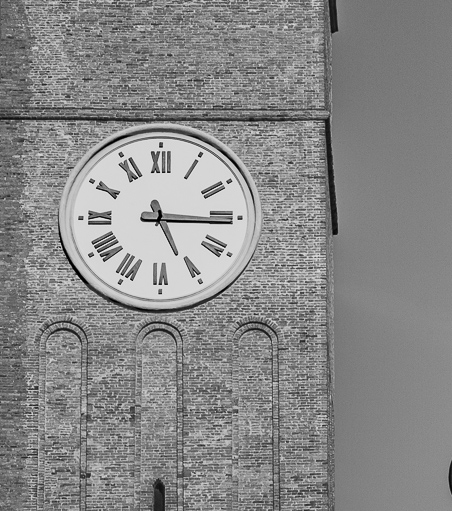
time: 5:15
